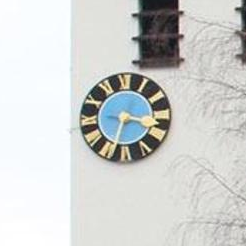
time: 3:32
